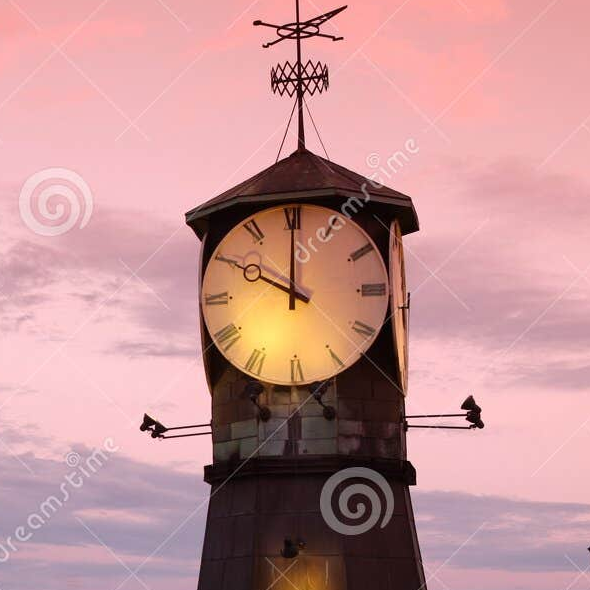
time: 10:00
